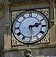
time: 2:29
